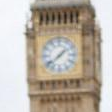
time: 1:38
